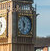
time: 11:32
